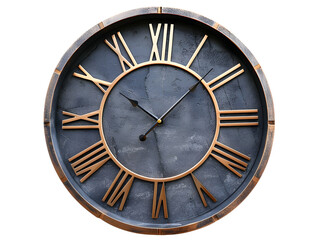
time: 10:07
